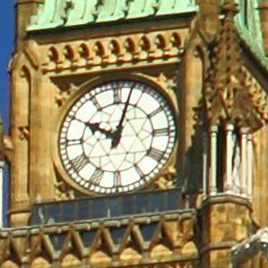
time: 10:02
